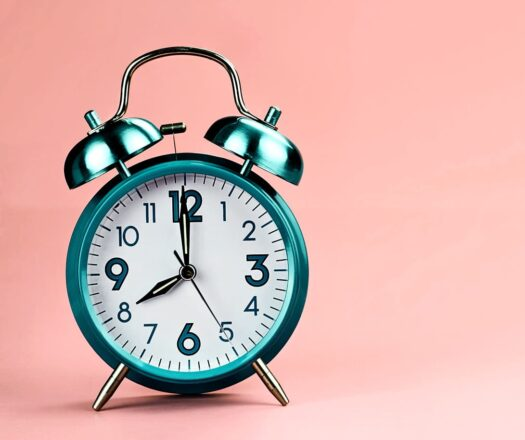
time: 7:59
